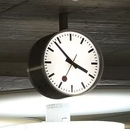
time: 3:53
